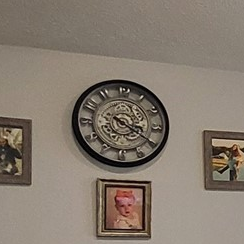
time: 3:20
